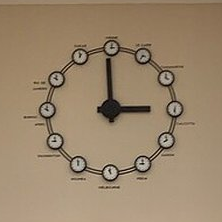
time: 2:59
